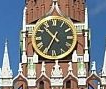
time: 10:34
